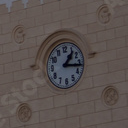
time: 1:16
